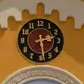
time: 2:28
